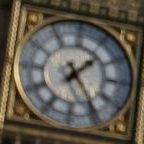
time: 1:24
